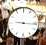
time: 9:16
